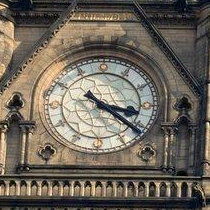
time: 3:21
